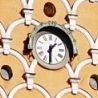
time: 1:30
